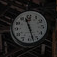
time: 11:27
